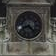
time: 8:22
